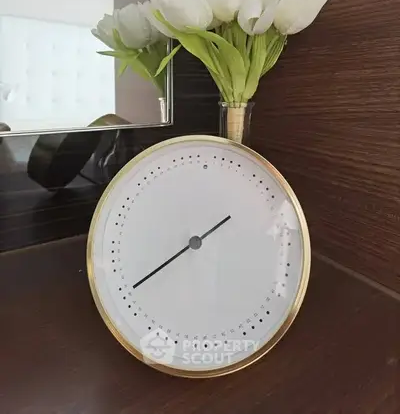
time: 1:38
